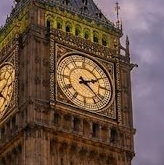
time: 2:21
